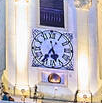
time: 5:35
